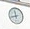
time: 11:42
